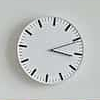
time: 3:10
